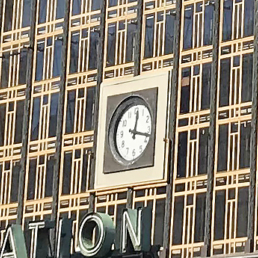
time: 12:17
